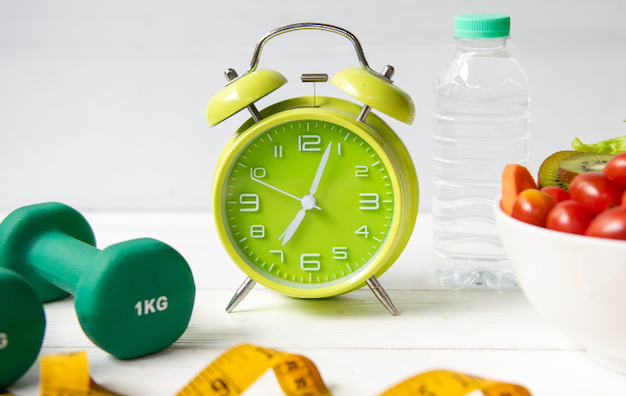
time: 7:03
